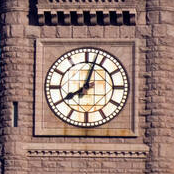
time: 8:03
